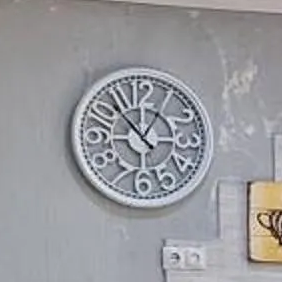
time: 12:52
